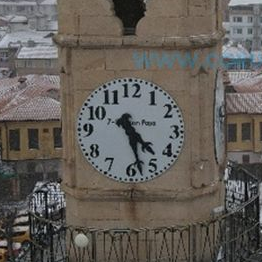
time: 4:27
